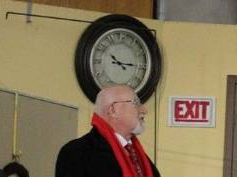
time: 10:14
